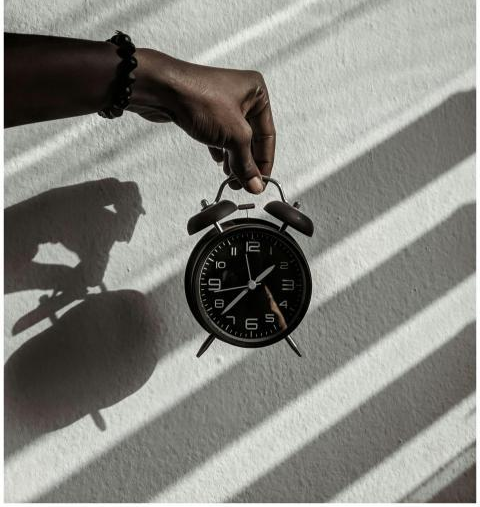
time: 1:37
